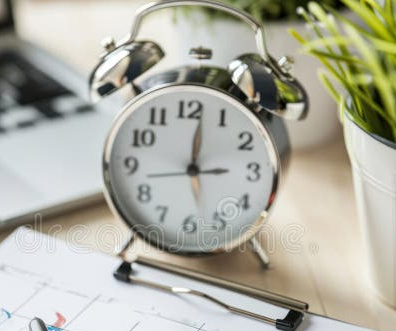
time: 3:01
